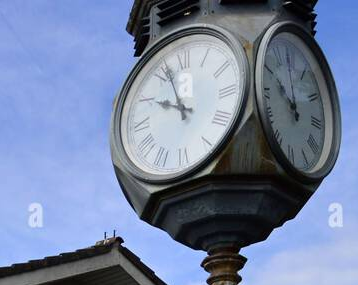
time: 9:56
